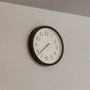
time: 7:37
